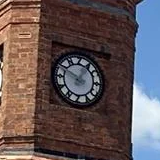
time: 12:49
